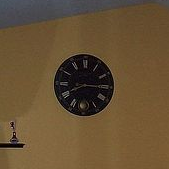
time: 8:14
